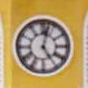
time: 5:02
